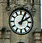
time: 2:04
